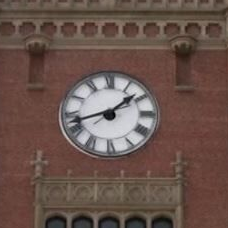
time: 1:42
